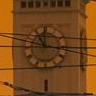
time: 11:16
